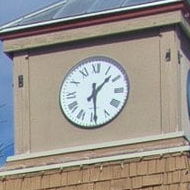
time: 1:29
